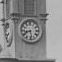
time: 8:28
